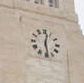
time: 12:28
